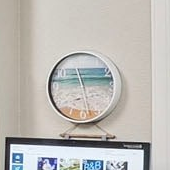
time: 11:28
